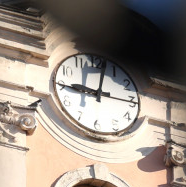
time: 9:01
